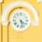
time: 4:27
